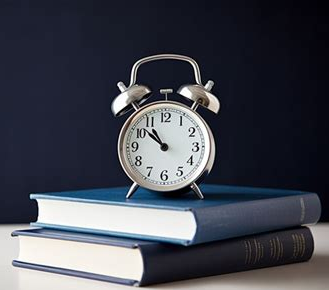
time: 10:51
